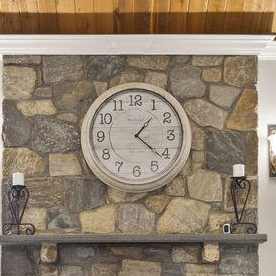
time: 1:21
